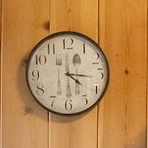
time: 4:16
